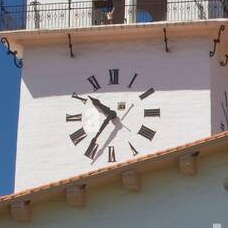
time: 10:35
